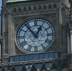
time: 12:53
